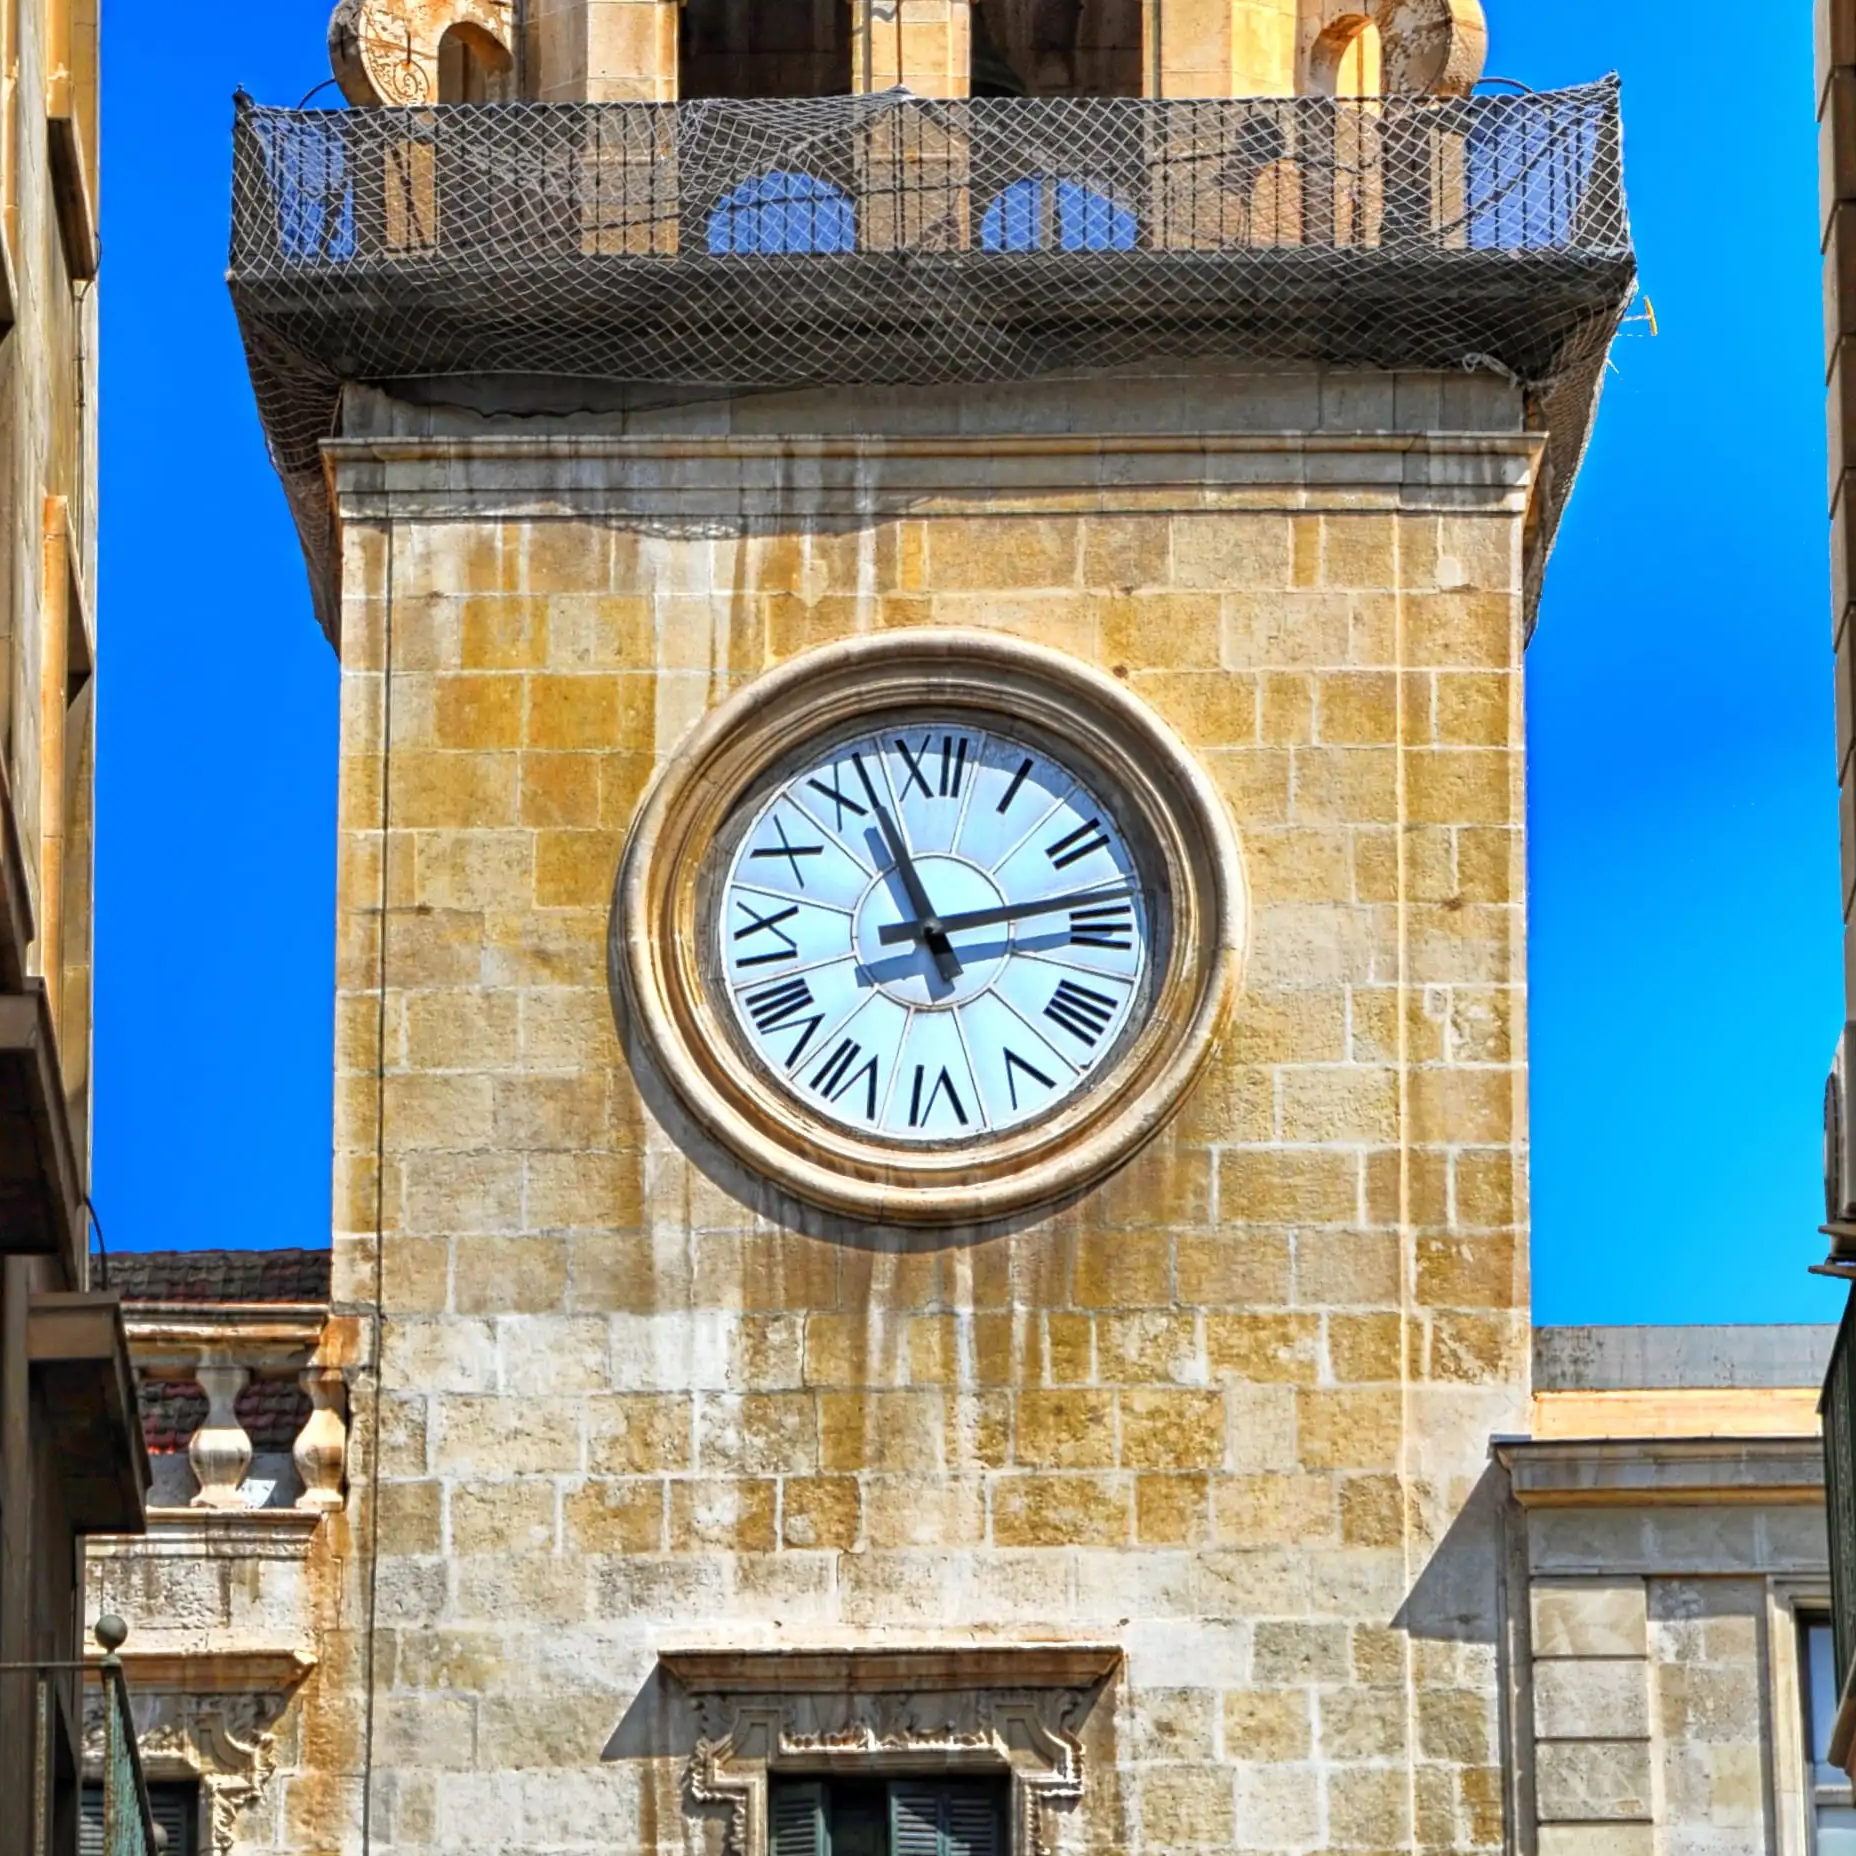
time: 11:13
